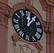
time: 12:07
